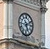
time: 5:11
